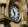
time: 10:32
